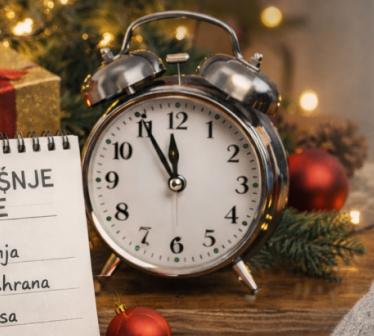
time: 11:55
